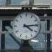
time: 4:14
